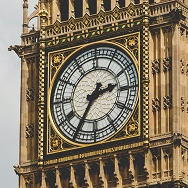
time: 2:35
